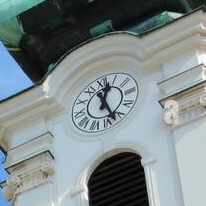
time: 12:23
